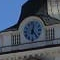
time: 12:23
